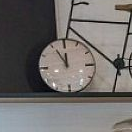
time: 11:55
